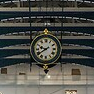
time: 9:39
